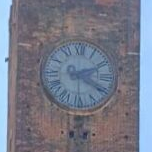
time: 2:19
